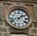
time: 1:42
